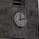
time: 12:12
